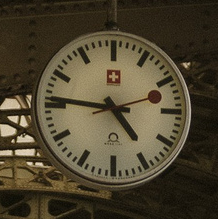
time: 4:46
